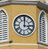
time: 3:00
